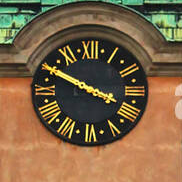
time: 3:49
